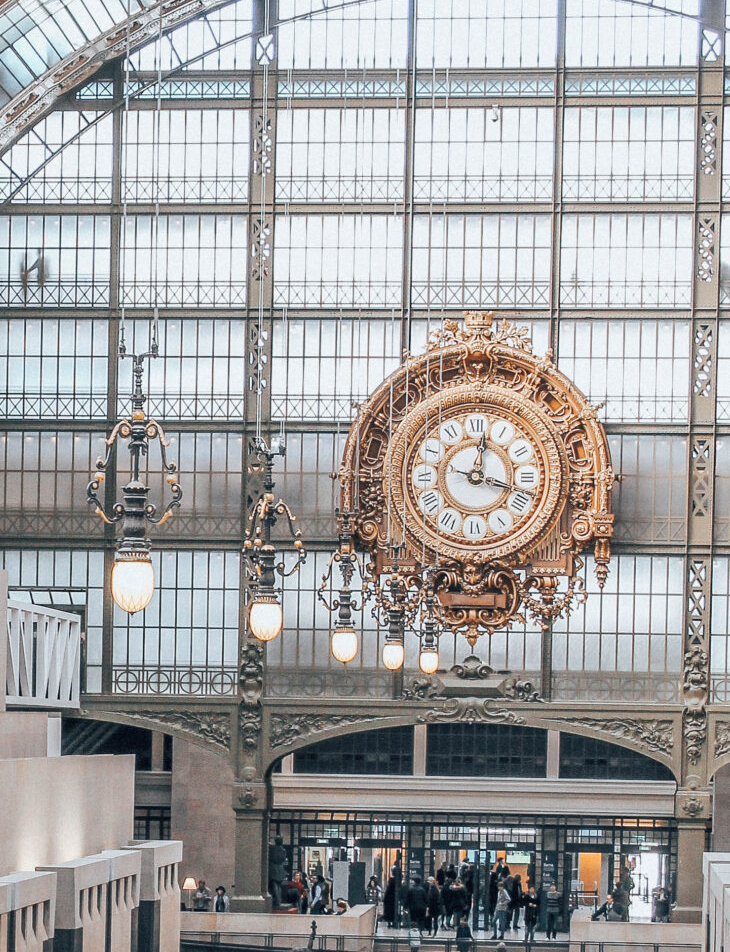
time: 12:18
